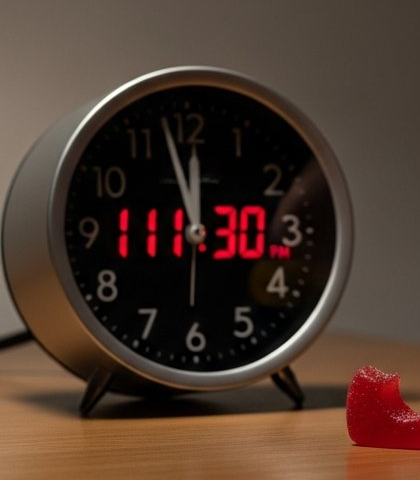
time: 11:57
